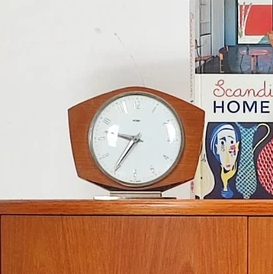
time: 9:35
